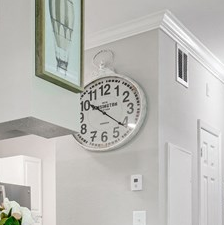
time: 10:21
